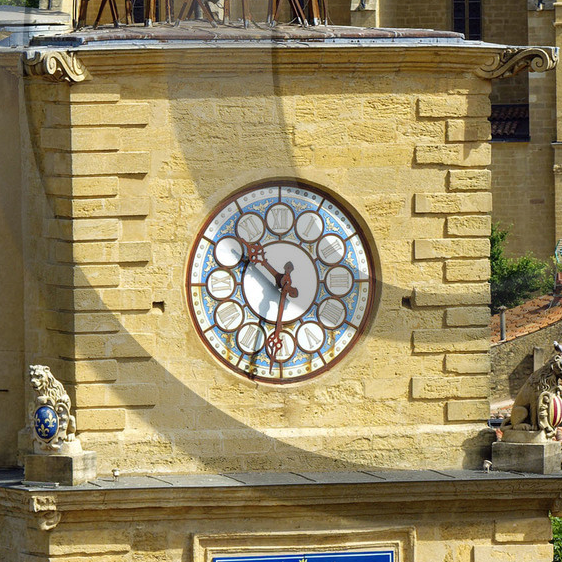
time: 10:32
